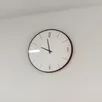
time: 9:58
